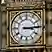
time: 3:14
